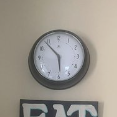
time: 5:53
